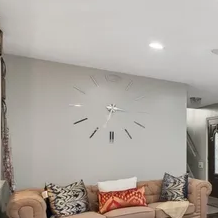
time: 3:32
